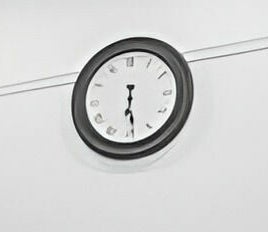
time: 6:29
